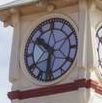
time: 10:32
